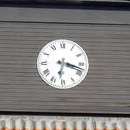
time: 6:18
